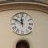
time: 11:49
